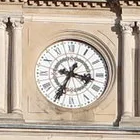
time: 3:34
